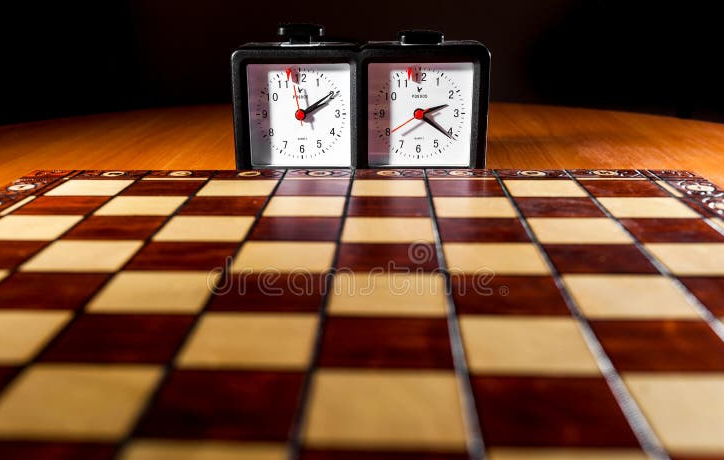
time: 2:21
